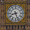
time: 8:26
